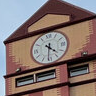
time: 4:31
